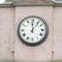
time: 12:06
